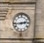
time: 2:43
